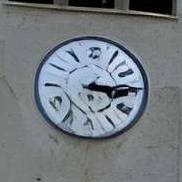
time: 3:14
